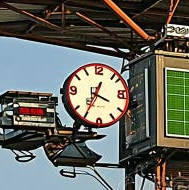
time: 3:34
